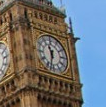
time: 11:32
